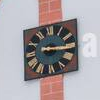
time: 3:16
